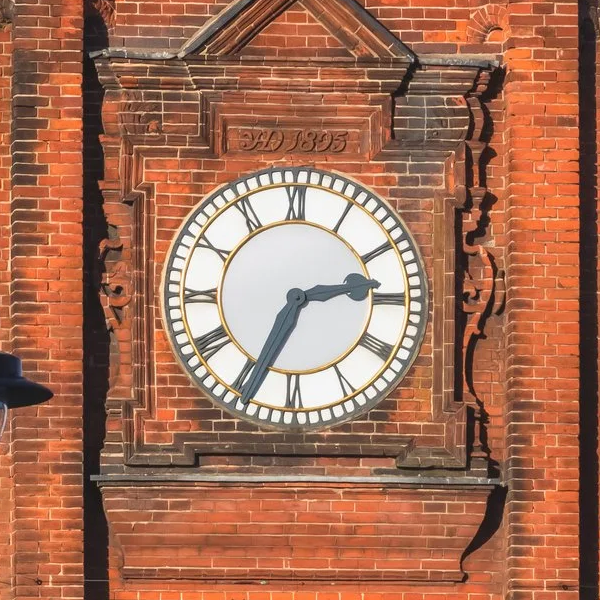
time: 2:34
